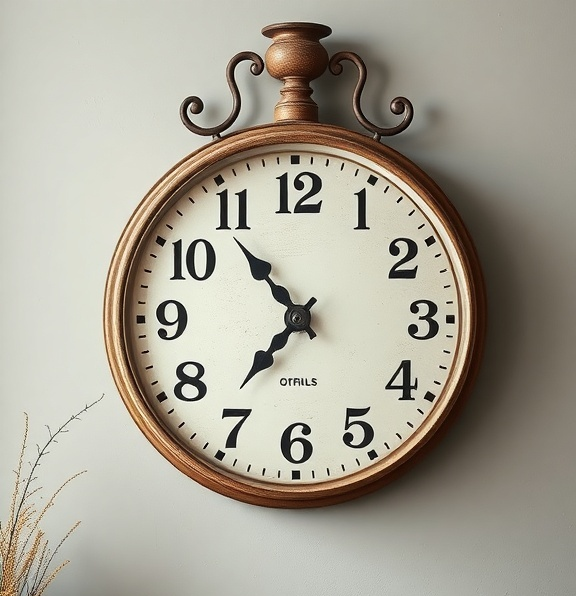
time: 10:36
